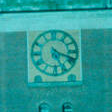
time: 5:18
